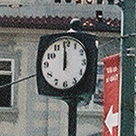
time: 11:59
